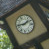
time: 1:42
